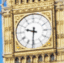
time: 9:31
